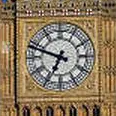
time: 6:48
